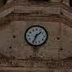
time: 1:33
